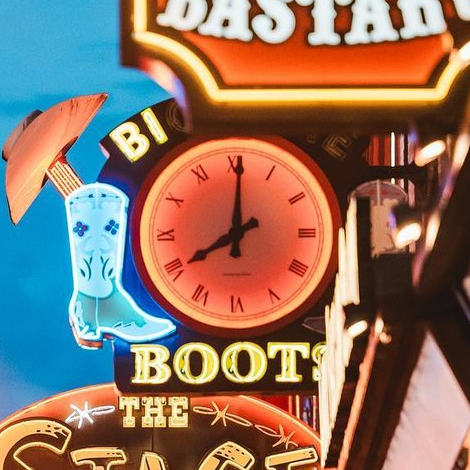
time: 8:00
